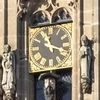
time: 11:18
